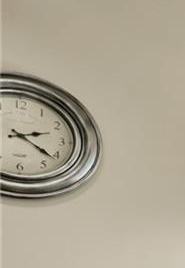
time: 2:21
